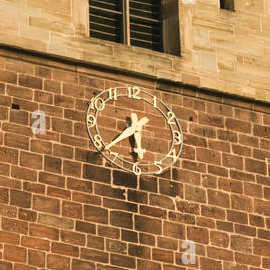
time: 5:37
